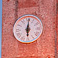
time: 6:00
